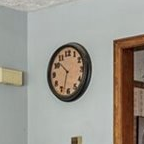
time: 10:32
